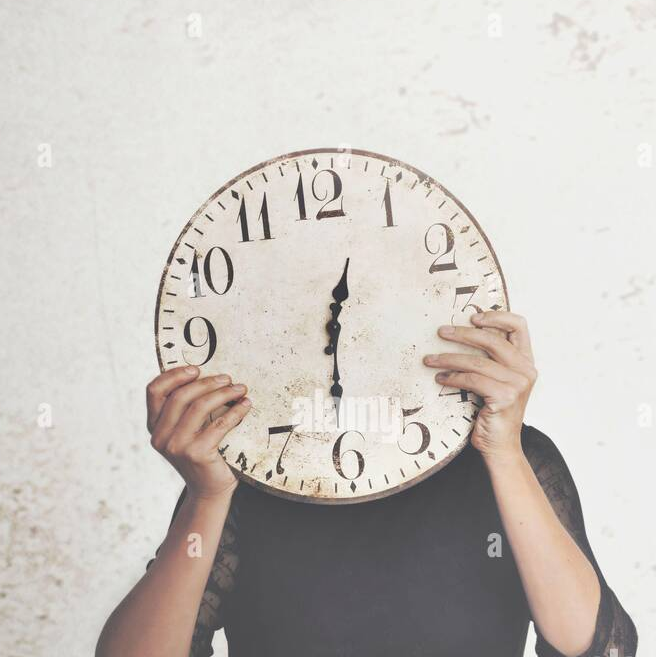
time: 12:30
